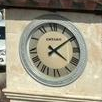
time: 4:09
